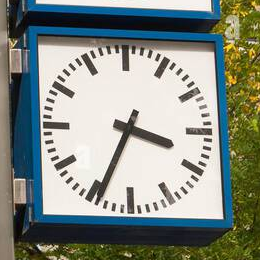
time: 3:34
